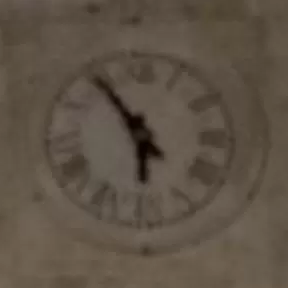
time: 5:54
